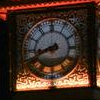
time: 8:40
